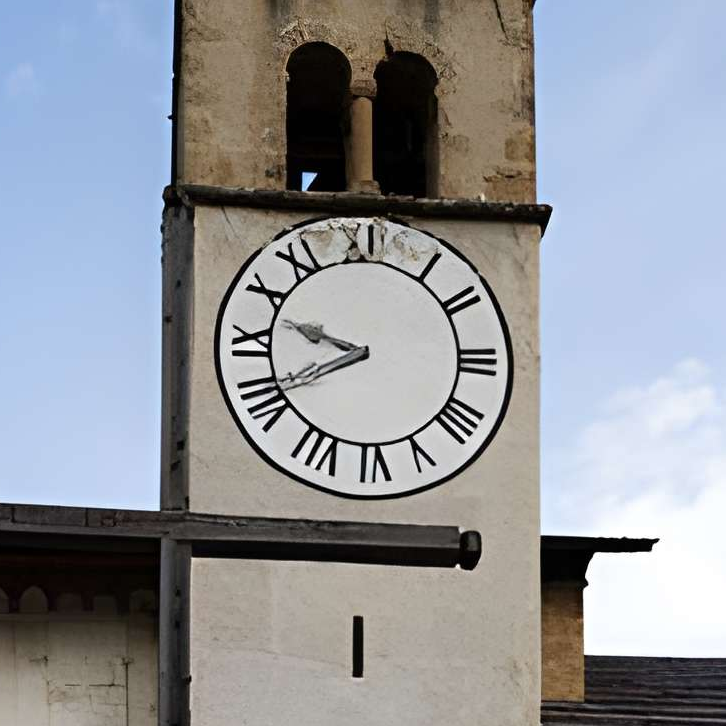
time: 9:40
